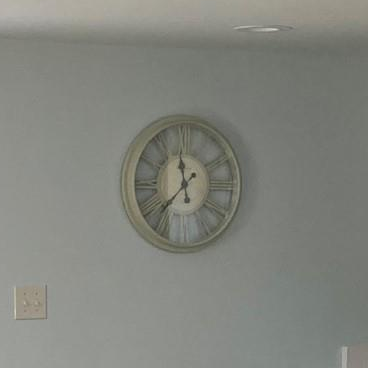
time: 11:37
